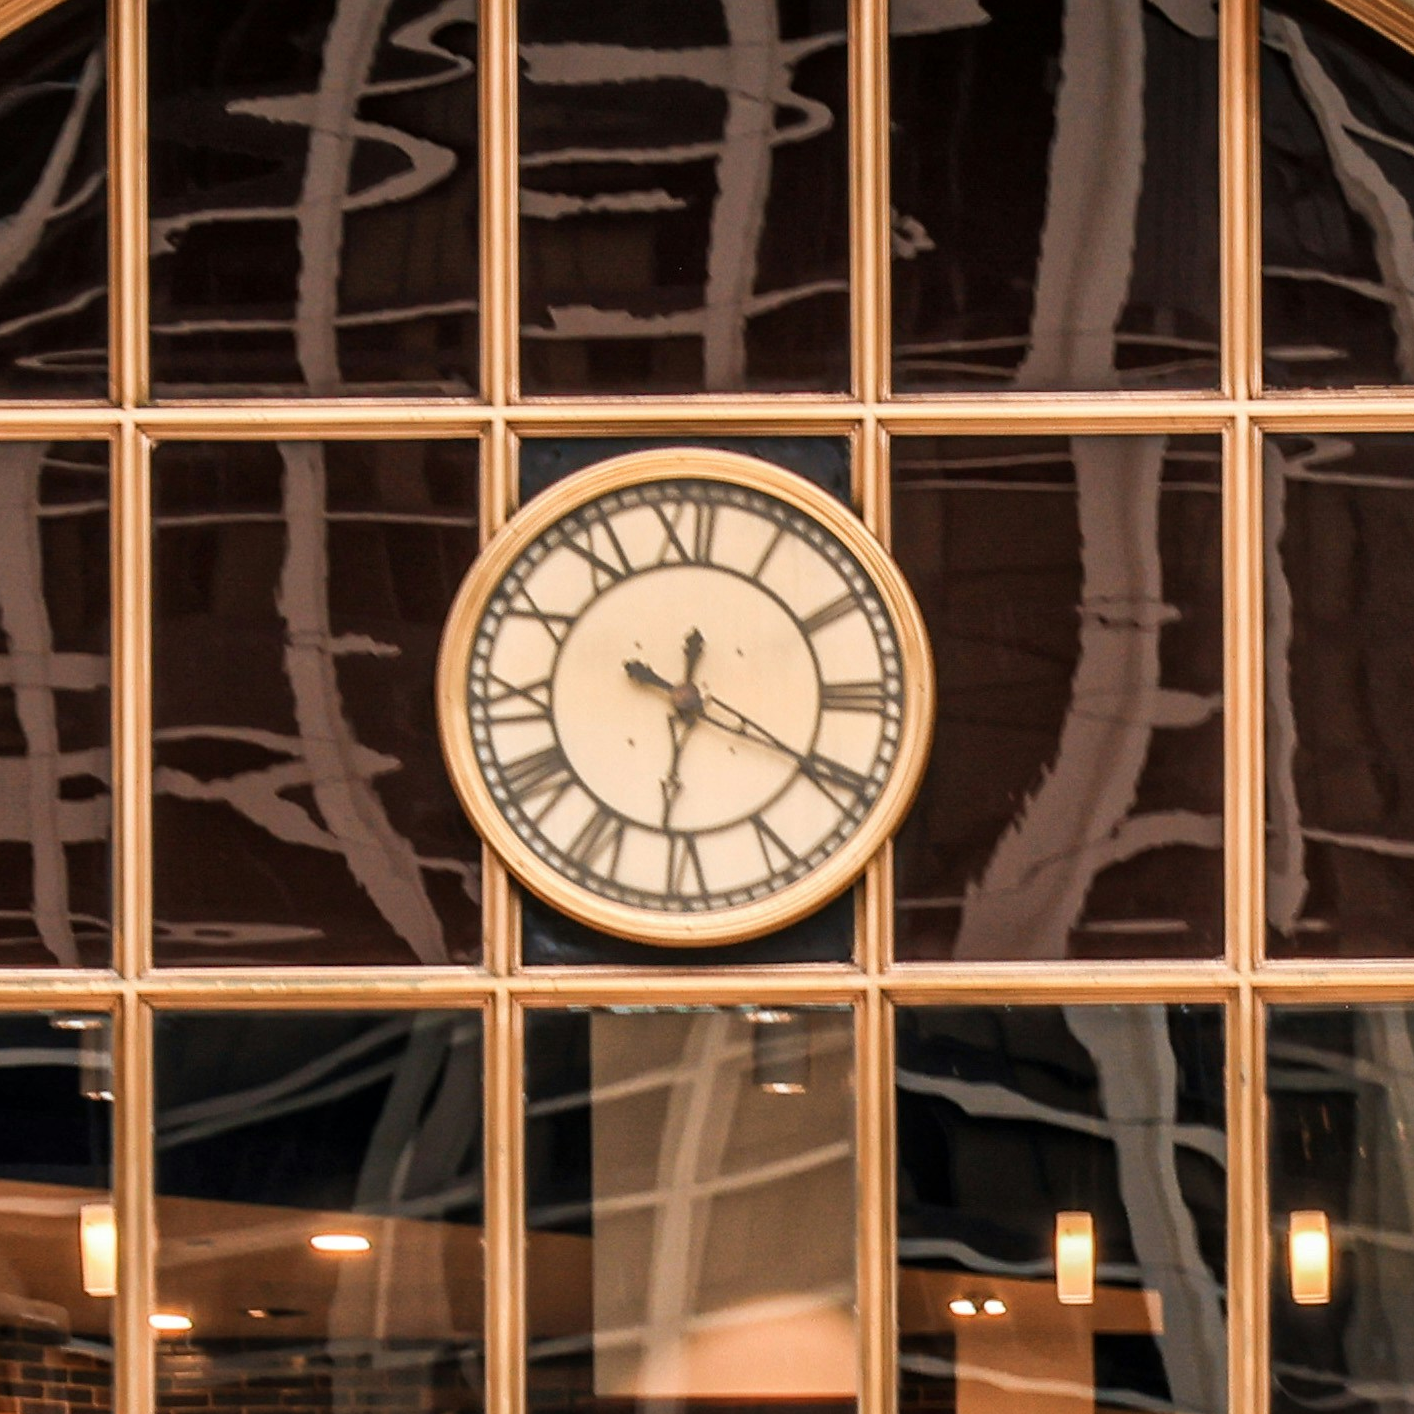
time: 12:19
